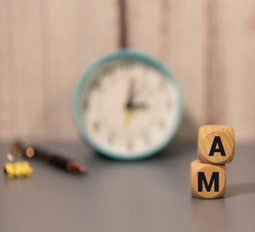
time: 3:02
